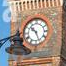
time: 10:26
